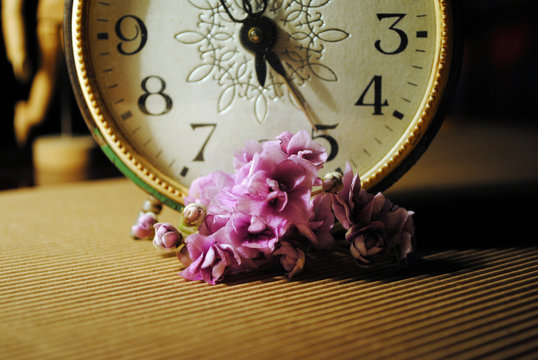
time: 12:24
